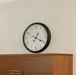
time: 1:19
